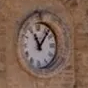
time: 11:06
